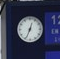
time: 12:34
